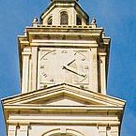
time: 1:20
